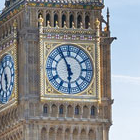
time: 5:55
